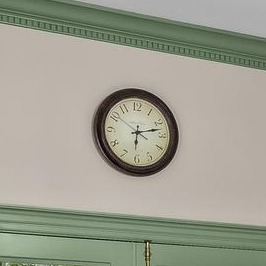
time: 6:12
